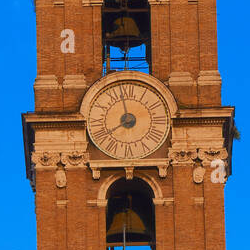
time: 7:58
